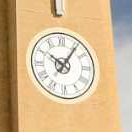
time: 10:06
